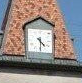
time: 4:29
